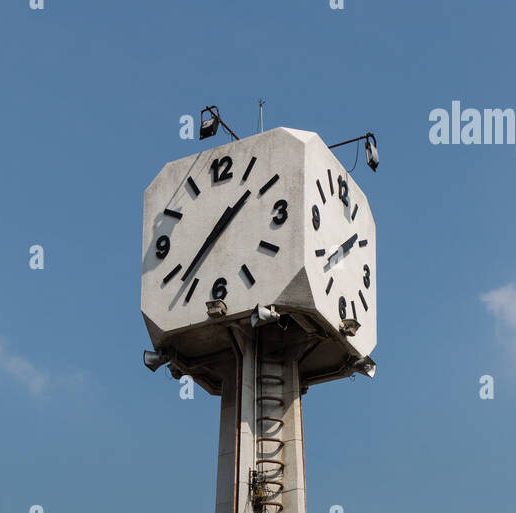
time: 1:36
